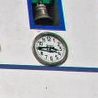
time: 3:45
